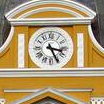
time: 3:25
